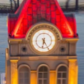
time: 6:24
